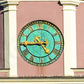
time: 4:44
